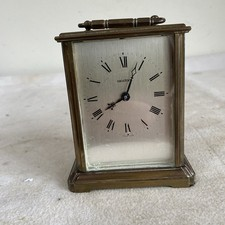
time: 8:04
